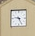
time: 9:25
